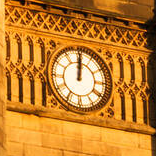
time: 12:00
